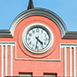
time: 4:31
